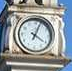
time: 4:04
